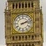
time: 2:12
